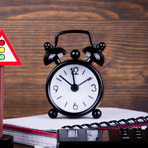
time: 11:52
